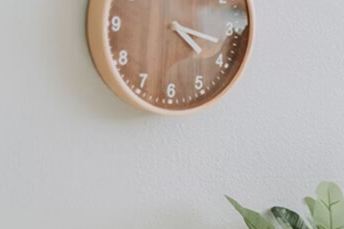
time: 4:17
